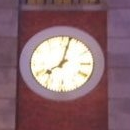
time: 8:02
